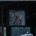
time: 4:34
